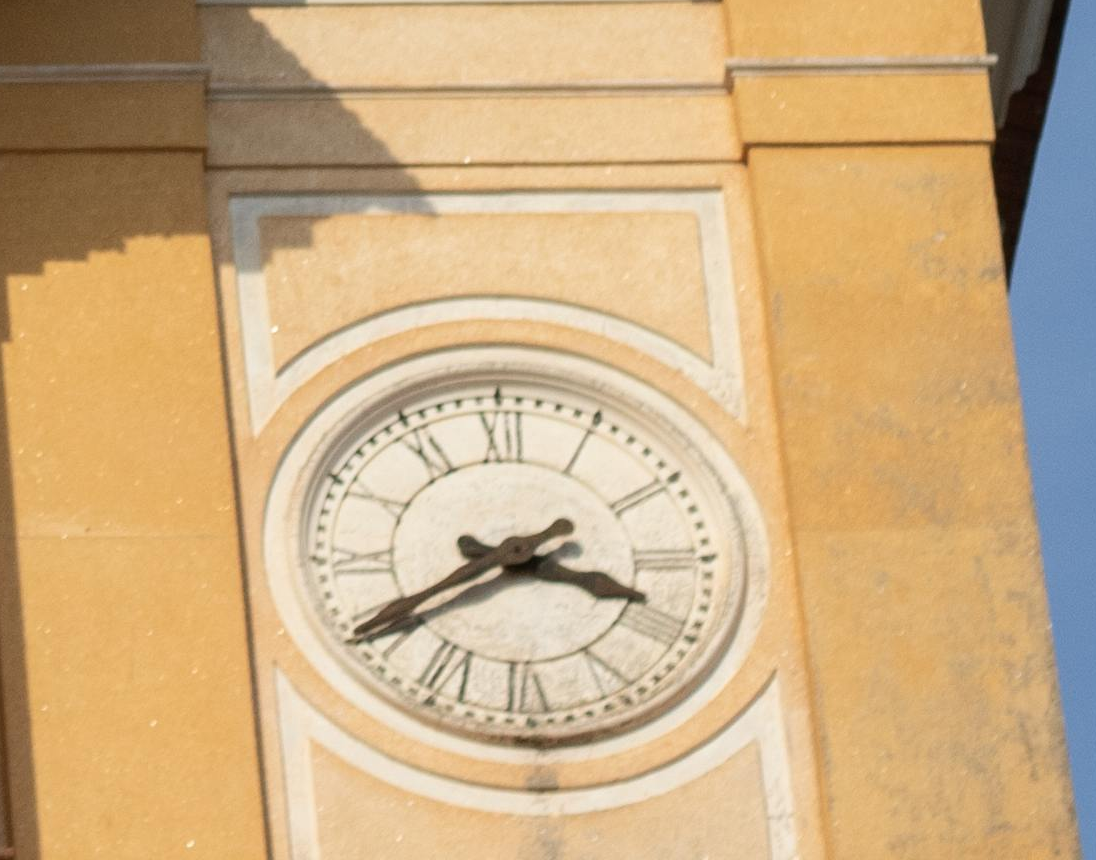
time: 3:40
